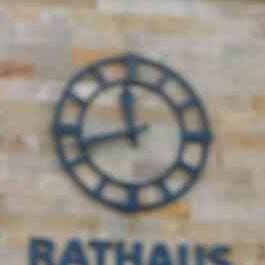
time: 11:42
